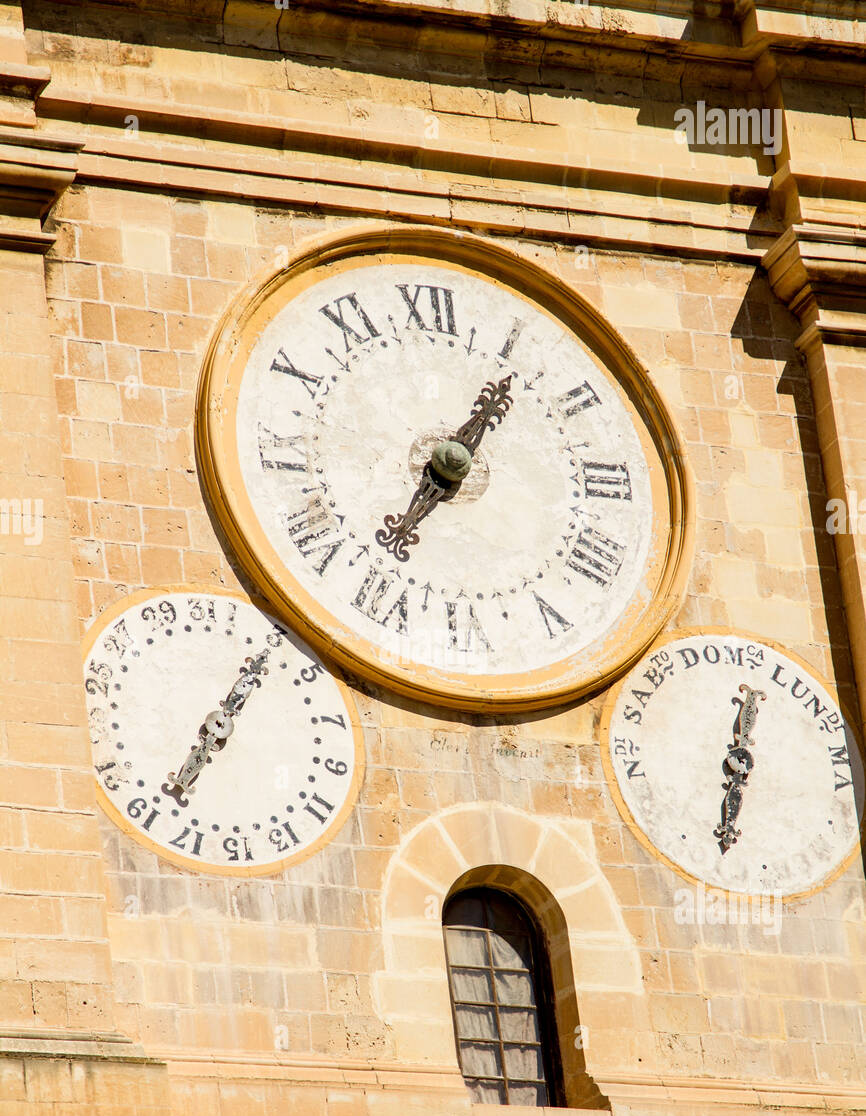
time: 7:06
